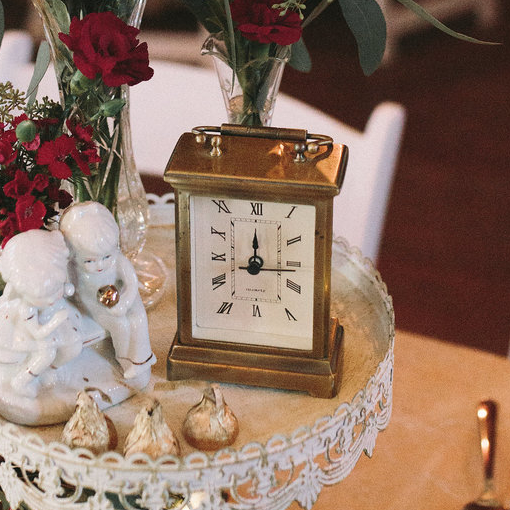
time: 12:14
